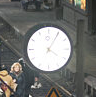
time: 4:05
